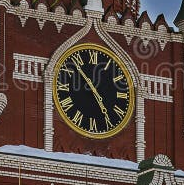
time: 4:53
